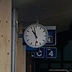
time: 10:58
